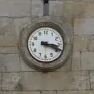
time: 3:18
